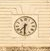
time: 7:30
